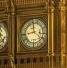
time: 11:43
